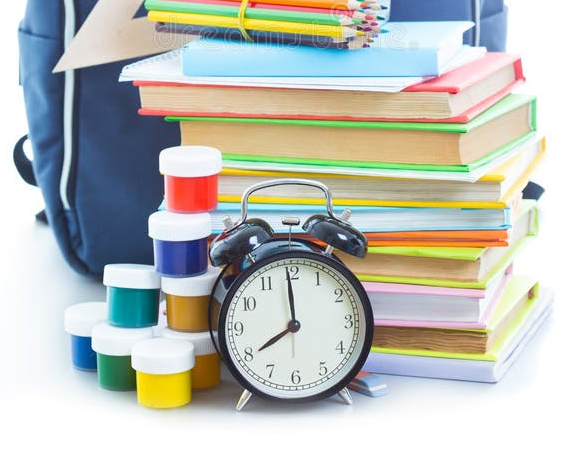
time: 7:59
